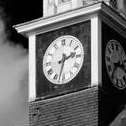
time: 2:32
